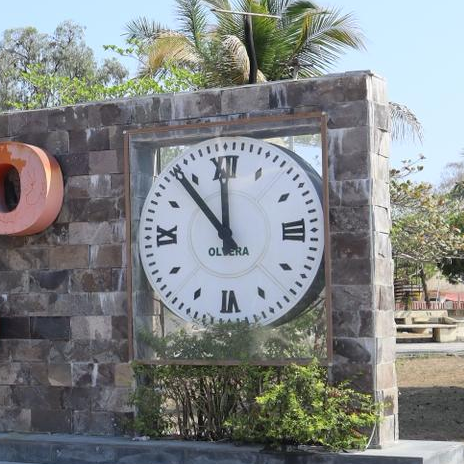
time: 11:53
